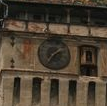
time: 1:35
